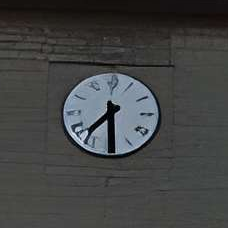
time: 7:29
